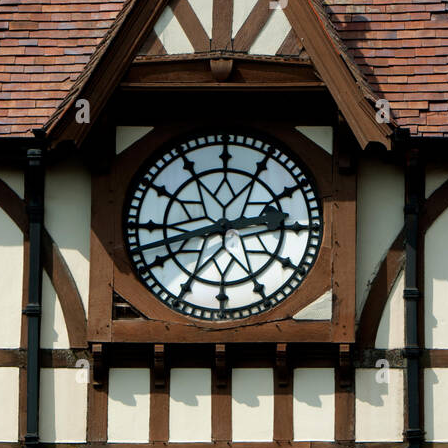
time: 2:42
